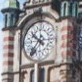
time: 9:36
